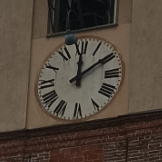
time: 12:09
